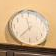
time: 11:36
